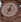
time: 7:03
